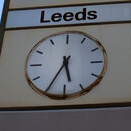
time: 5:35
